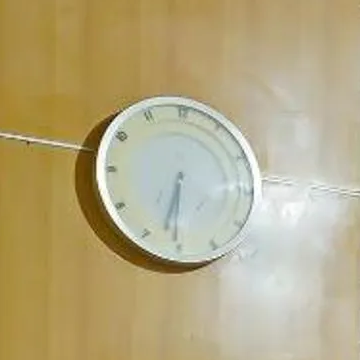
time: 6:30
